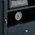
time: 4:35
